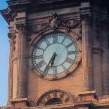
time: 6:35
